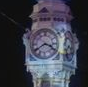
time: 3:39
